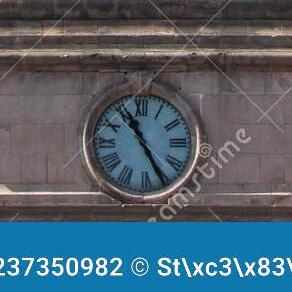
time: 11:25
